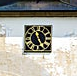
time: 4:57
